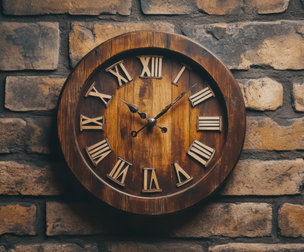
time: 10:07
